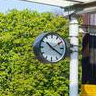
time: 10:20
